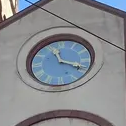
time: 11:18
